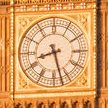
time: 8:27
